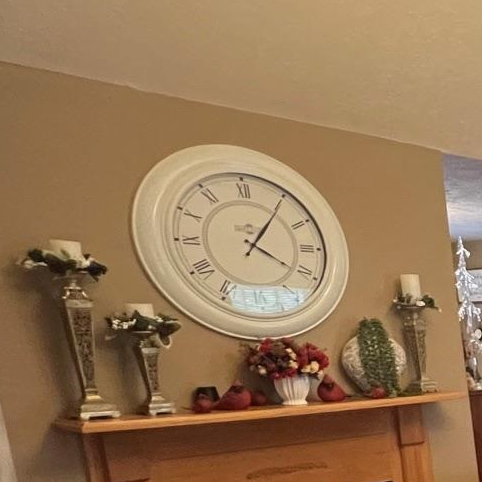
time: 4:05
